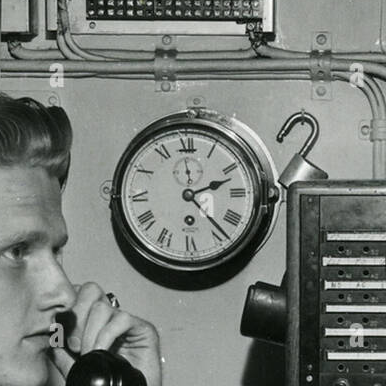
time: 2:23
